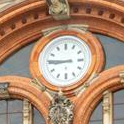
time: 8:45
